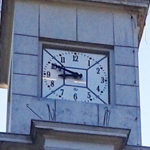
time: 8:49
